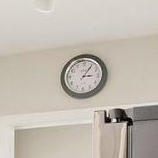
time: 3:06
